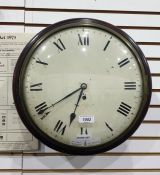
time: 6:39
